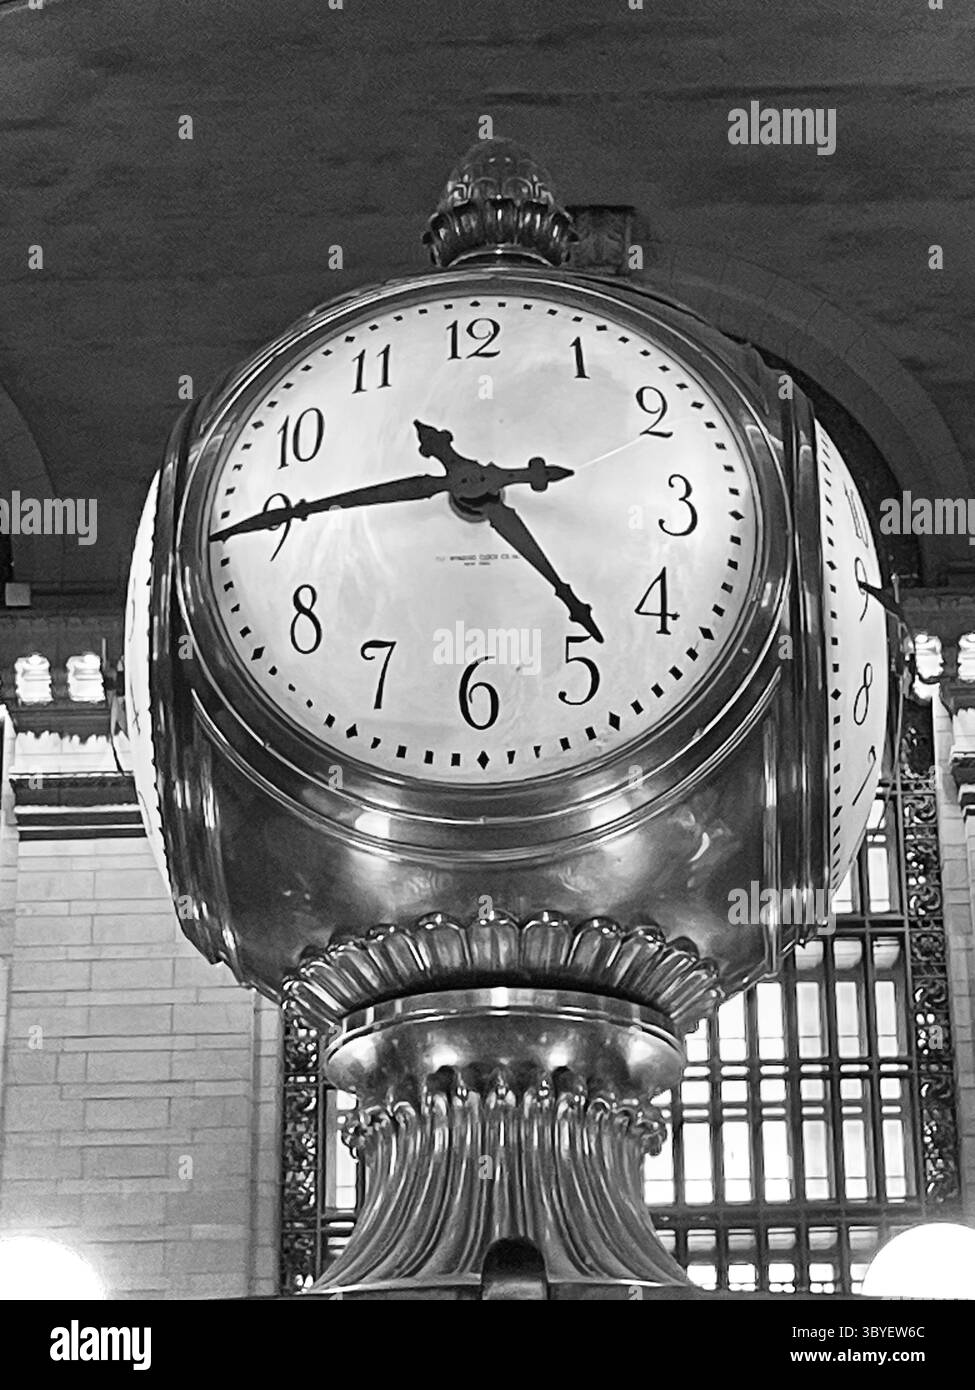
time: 4:45
